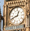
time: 12:41
